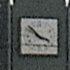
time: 3:52
